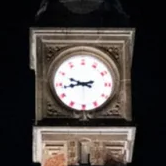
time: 9:43
